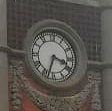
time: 3:33
